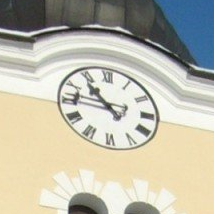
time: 10:46
